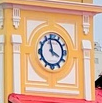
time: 3:58
